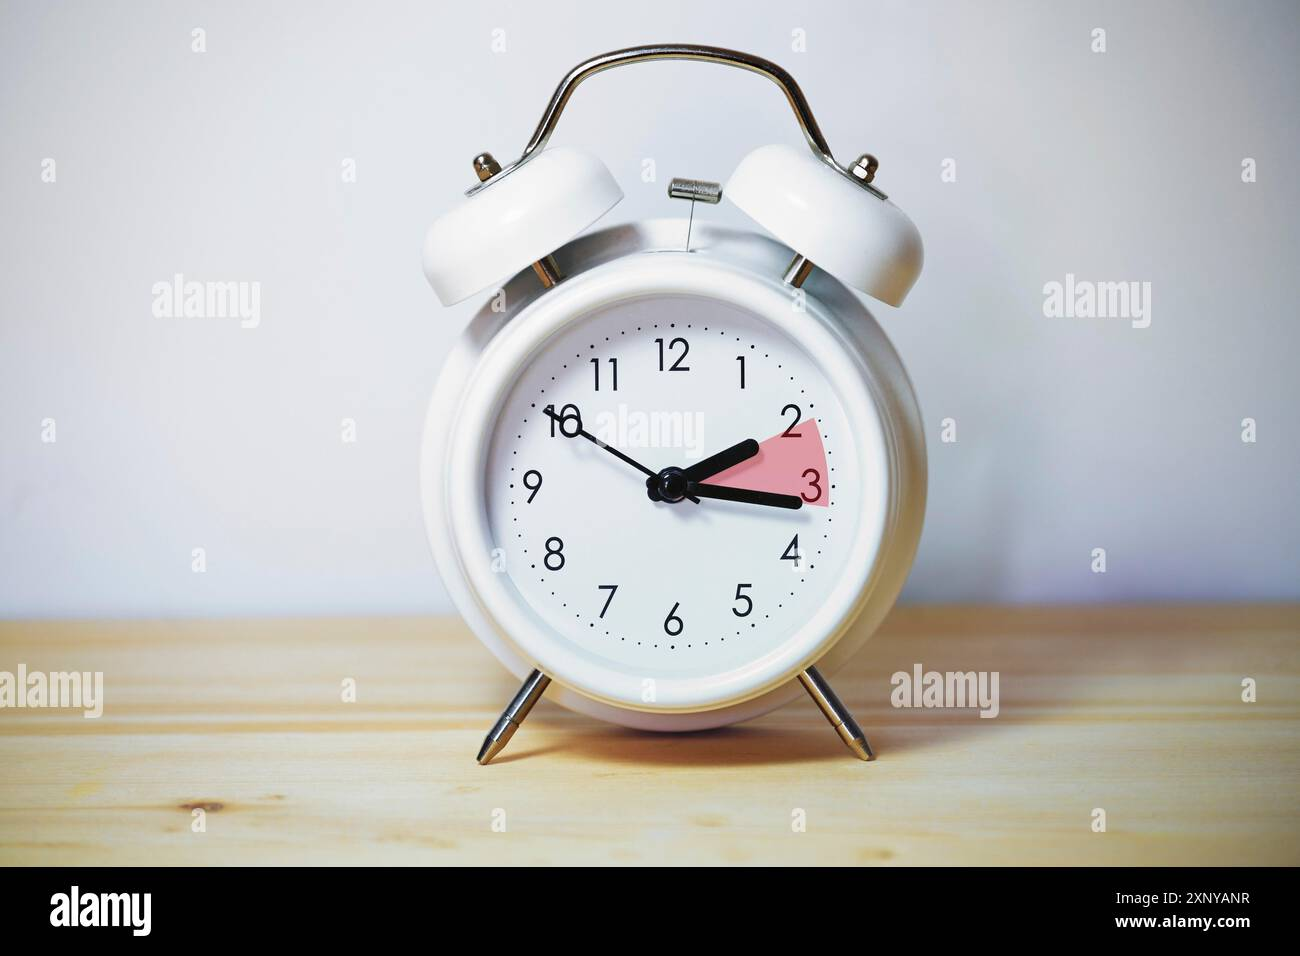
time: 2:16
